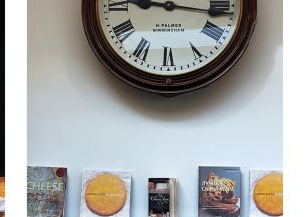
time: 9:16
